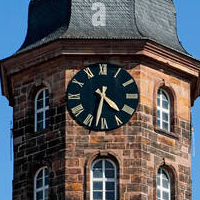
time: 4:32
